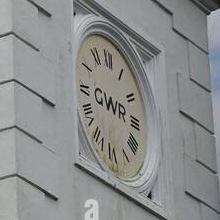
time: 3:16
